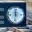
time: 12:32
